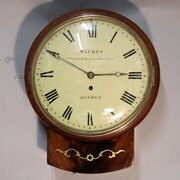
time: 2:49
